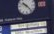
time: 10:23
